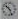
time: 10:26
